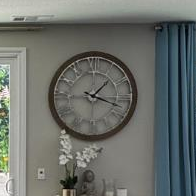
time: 1:18
